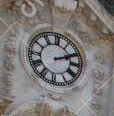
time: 2:11
